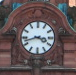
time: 3:42
